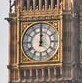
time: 12:00
